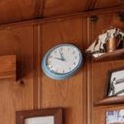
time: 9:57
